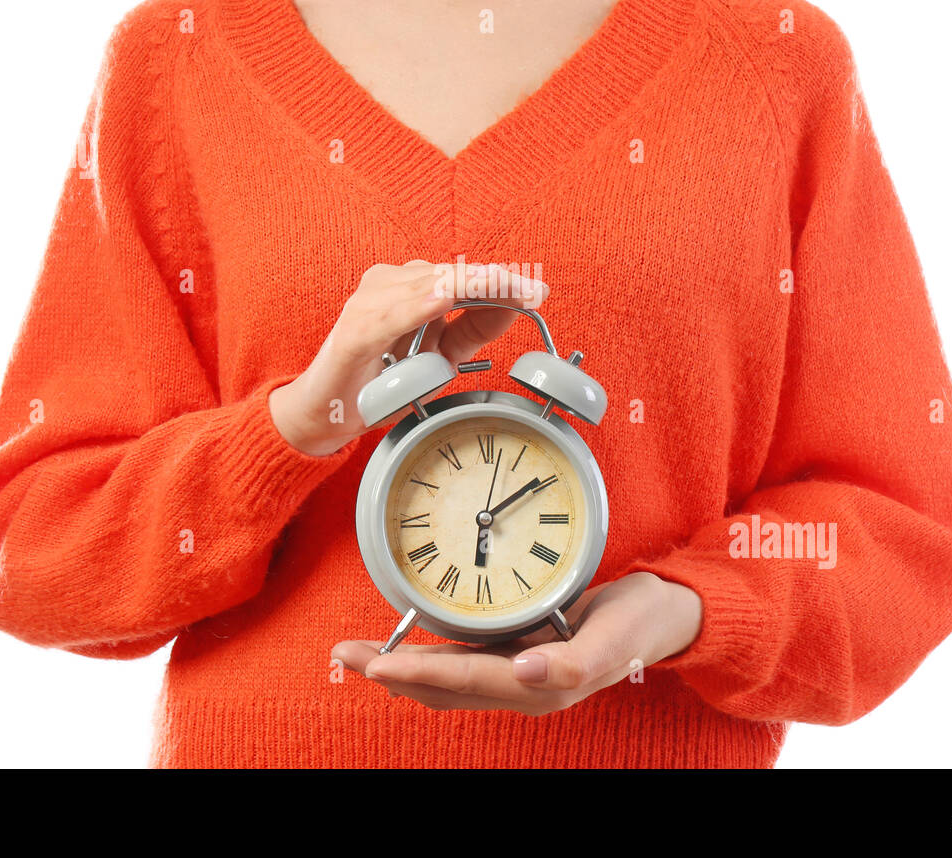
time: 6:09
